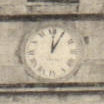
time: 1:01
